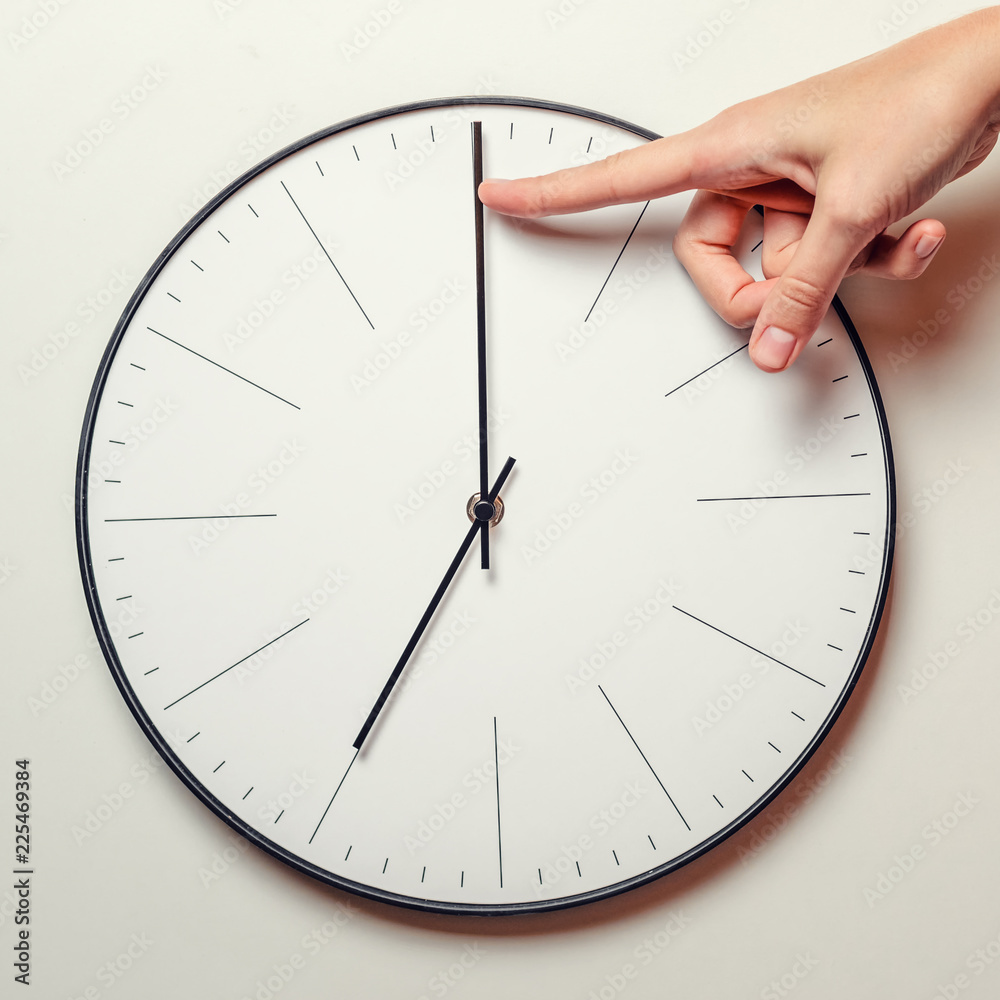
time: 7:00
